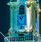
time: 10:07
